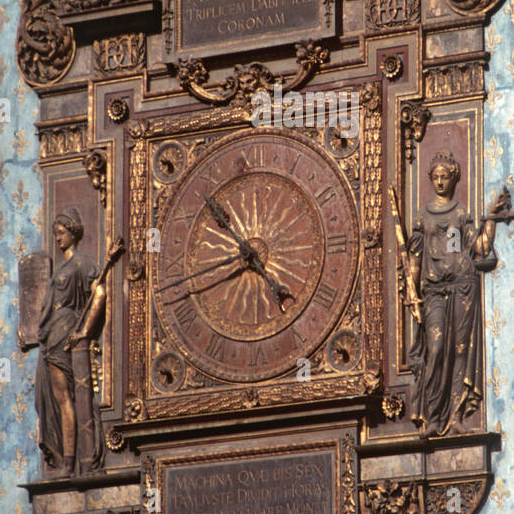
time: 4:42
